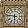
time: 5:46
